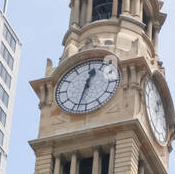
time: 12:32
